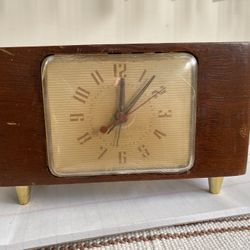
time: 12:07
